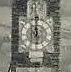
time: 5:59
